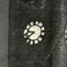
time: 9:39
